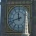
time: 11:42
